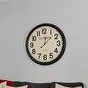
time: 12:07
